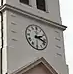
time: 2:18
